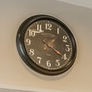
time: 4:20
